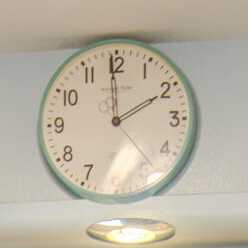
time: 1:59
